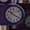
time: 10:20
